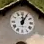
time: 12:05
